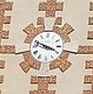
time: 3:48
